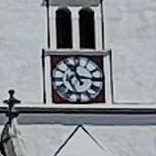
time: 11:15
